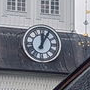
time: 12:05
